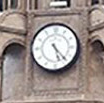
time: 5:23
